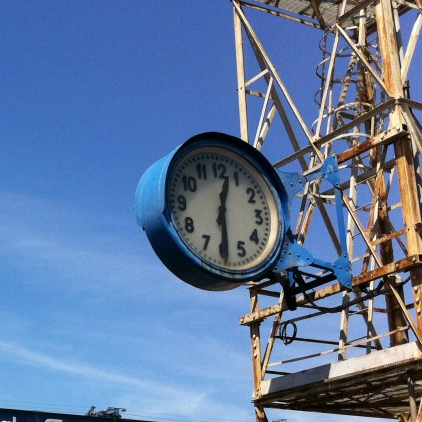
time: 12:29
